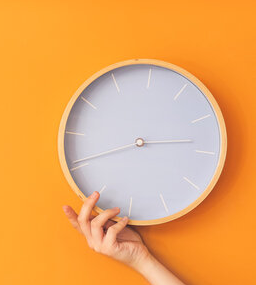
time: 2:40
